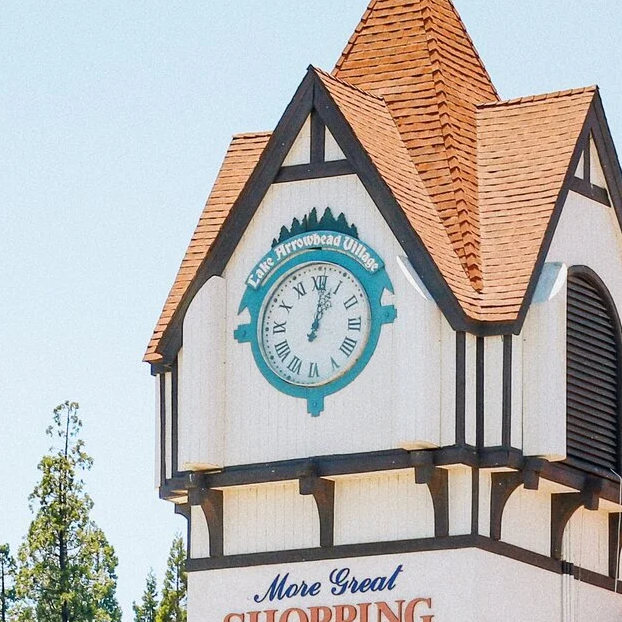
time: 1:01
